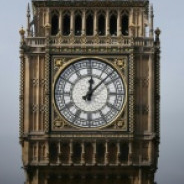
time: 12:07
